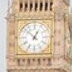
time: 12:52
